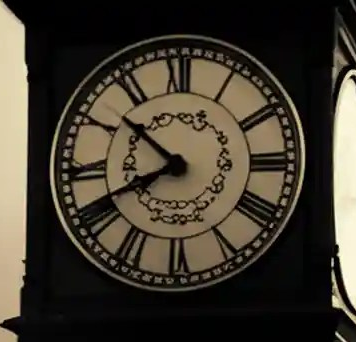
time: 7:51
